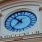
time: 10:36
